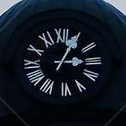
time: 3:04
